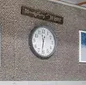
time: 11:31
